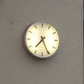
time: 7:25
